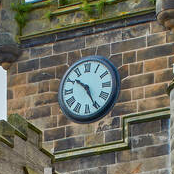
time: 10:25
